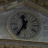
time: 11:35
